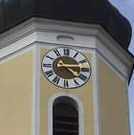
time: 4:13
